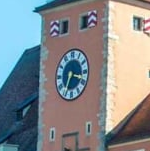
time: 3:34
